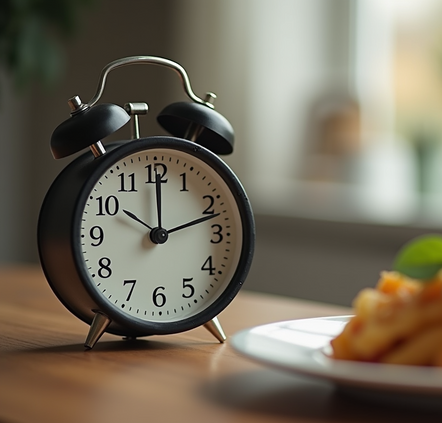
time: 10:12
